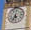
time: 5:35
